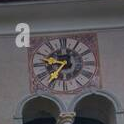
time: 9:36
